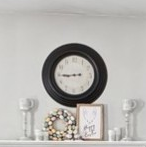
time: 8:45
